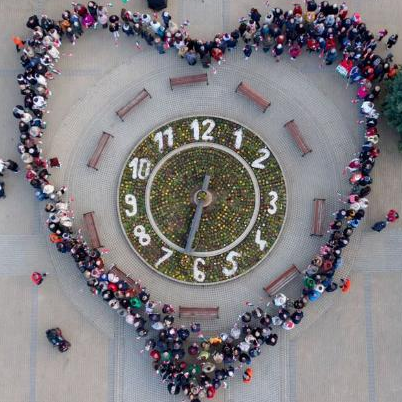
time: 12:32
